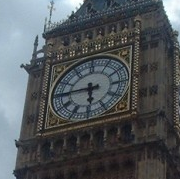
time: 5:45
